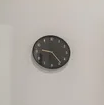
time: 9:23
